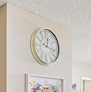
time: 12:17
